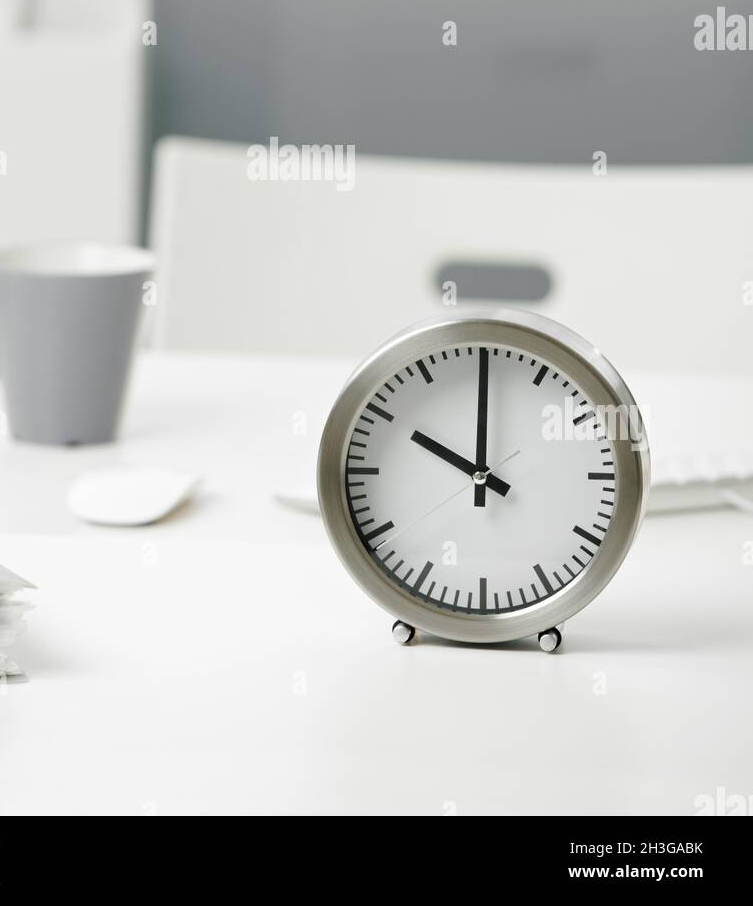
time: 10:00
